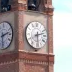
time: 2:29
